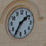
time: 1:35
